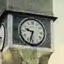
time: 9:33
